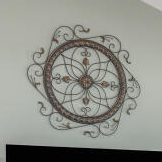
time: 9:01
